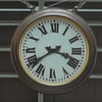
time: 3:39
